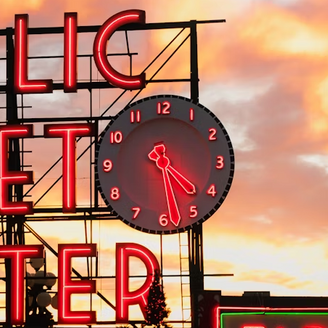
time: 4:28
